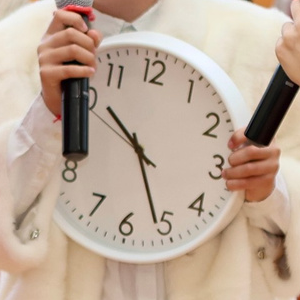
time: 10:26
